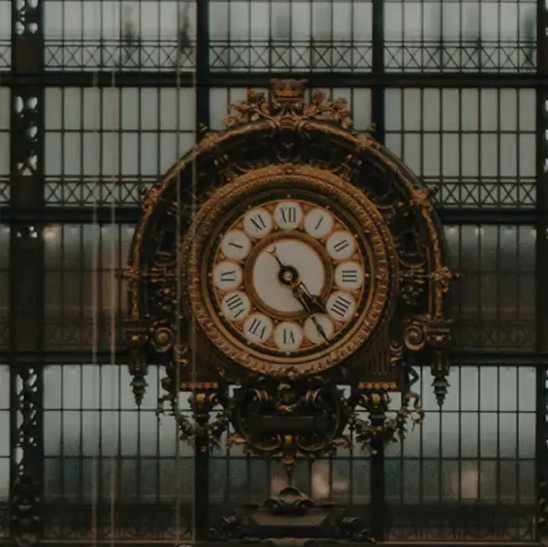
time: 4:23
